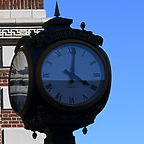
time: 4:01
